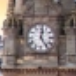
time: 12:24
